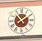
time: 1:53
